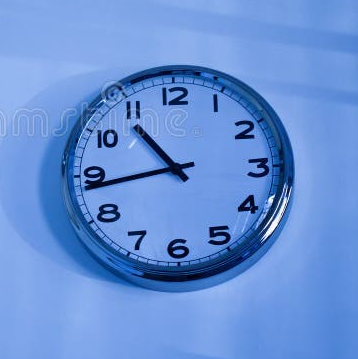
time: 10:43
